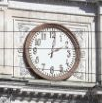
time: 2:01
